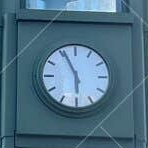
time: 5:55
